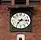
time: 7:15
